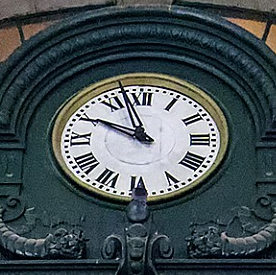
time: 9:57
